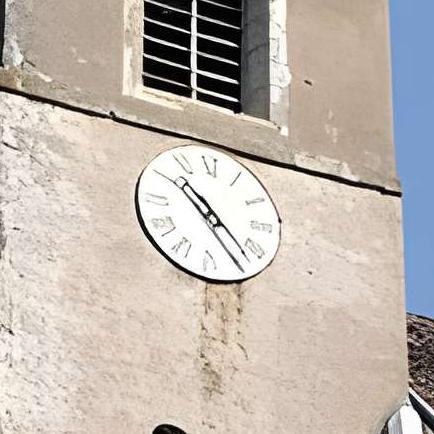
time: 10:22
